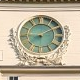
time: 9:10
